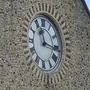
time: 11:16
